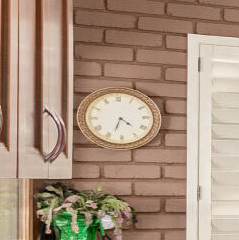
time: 4:33
